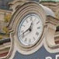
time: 12:41
